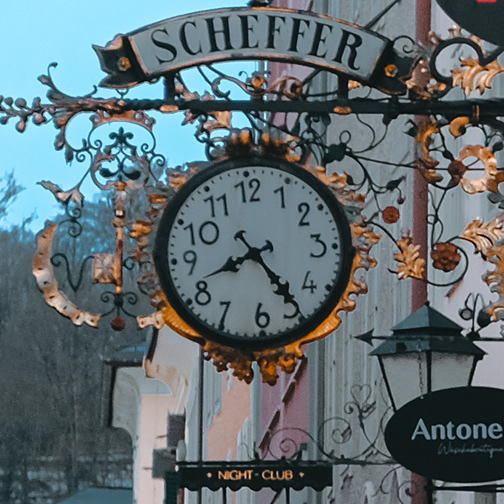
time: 8:24
